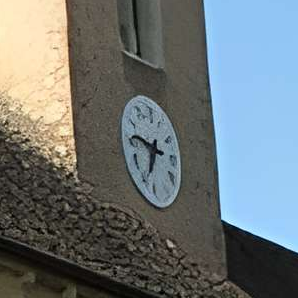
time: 6:46
